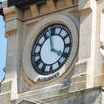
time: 3:58
